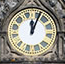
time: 12:04
